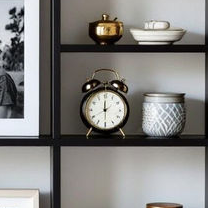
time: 12:00
